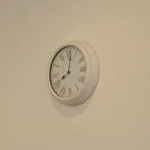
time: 8:01
